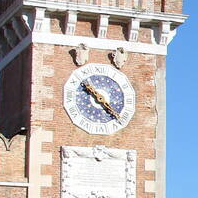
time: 10:22
